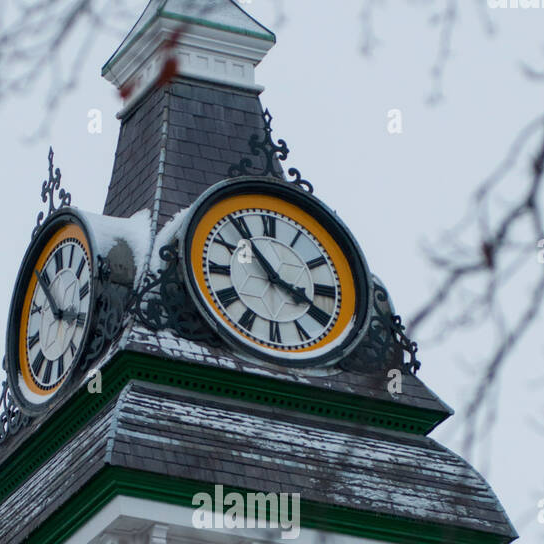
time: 3:53
